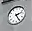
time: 2:25
